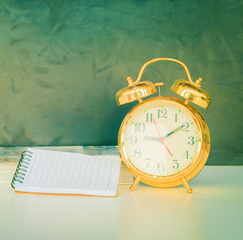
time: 9:09
